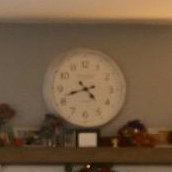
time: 4:42
